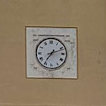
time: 7:11
